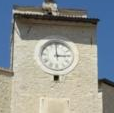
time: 2:59
